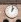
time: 1:01
